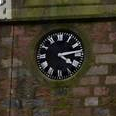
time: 4:13
